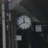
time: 11:40
